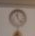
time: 11:22
